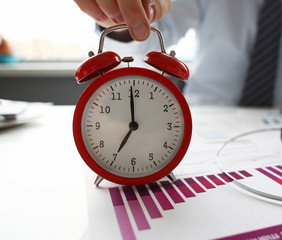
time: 6:59
